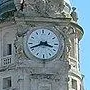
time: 3:41
